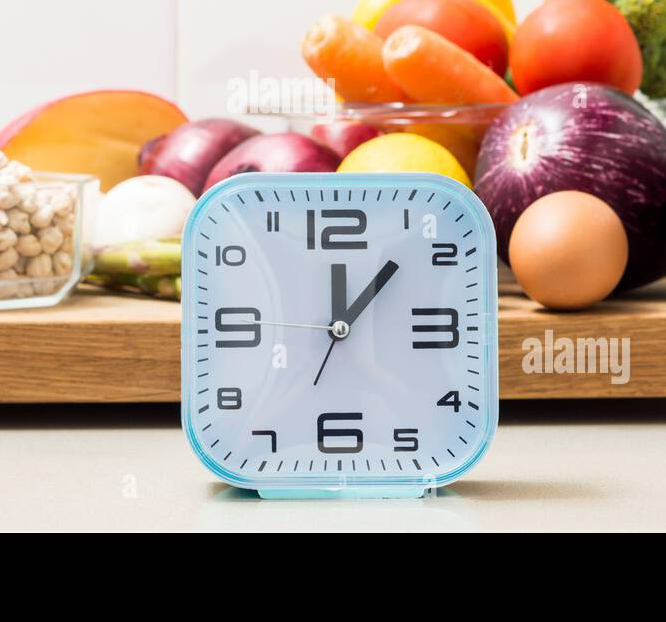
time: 12:07
